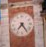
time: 7:24
